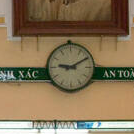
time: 9:10
